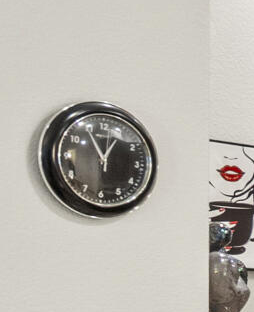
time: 12:55
